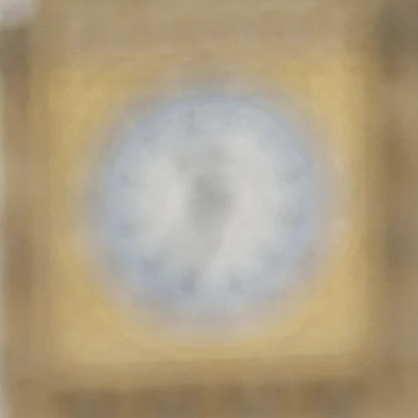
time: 11:32
